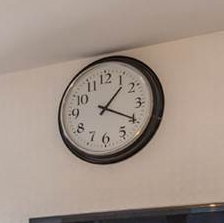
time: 1:19
